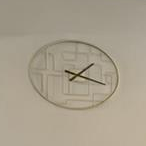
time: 1:18
